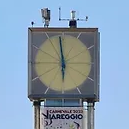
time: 5:58
